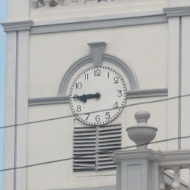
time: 8:45
